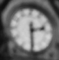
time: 2:29
